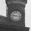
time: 9:16
